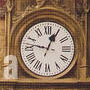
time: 12:46
